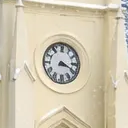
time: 3:19
